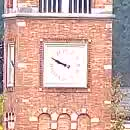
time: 9:50
